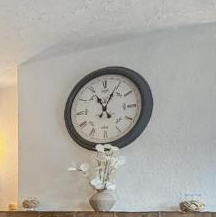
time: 11:04
